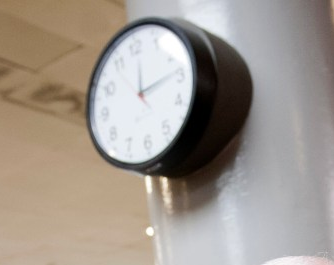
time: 12:14
